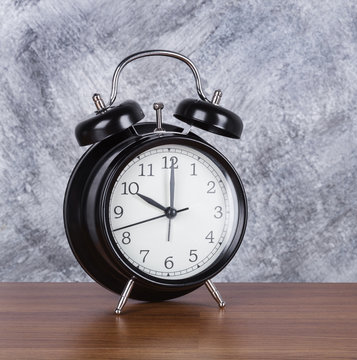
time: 10:00
